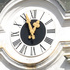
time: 12:57
